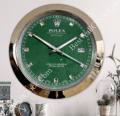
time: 1:50
